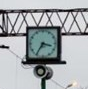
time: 3:35
